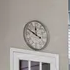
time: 11:49
